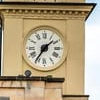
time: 1:35
